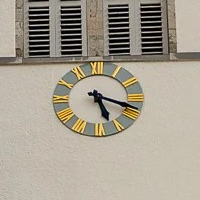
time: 5:18
